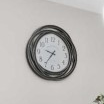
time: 9:35
